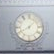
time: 8:07
